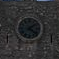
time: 4:08
